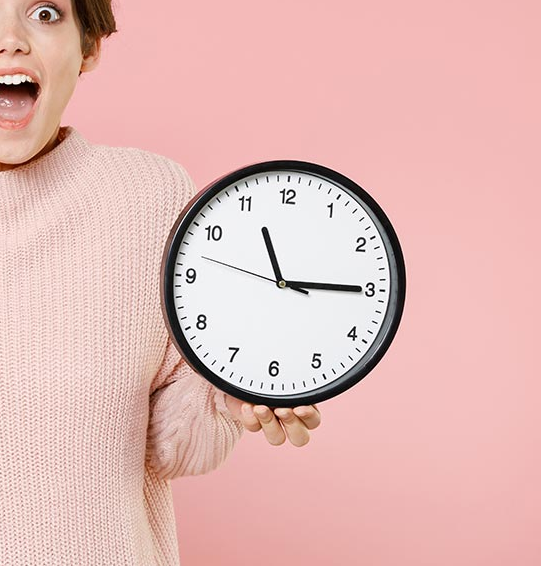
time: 11:14
